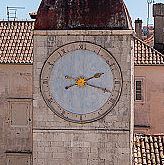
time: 2:18
